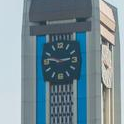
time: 2:46
